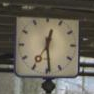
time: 12:29
